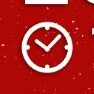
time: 10:07
